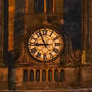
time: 8:56
